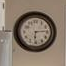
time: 6:14
